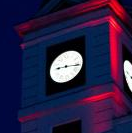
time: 9:16
